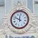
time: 11:48
